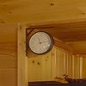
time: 11:13
